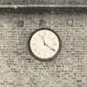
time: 11:20
